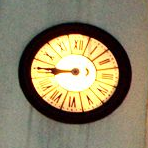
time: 8:45
